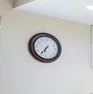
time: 6:35
